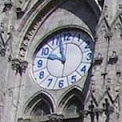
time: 9:57
